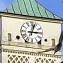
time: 3:02
